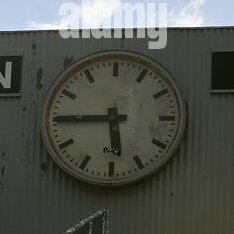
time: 5:44
